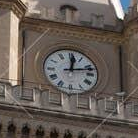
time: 12:12
